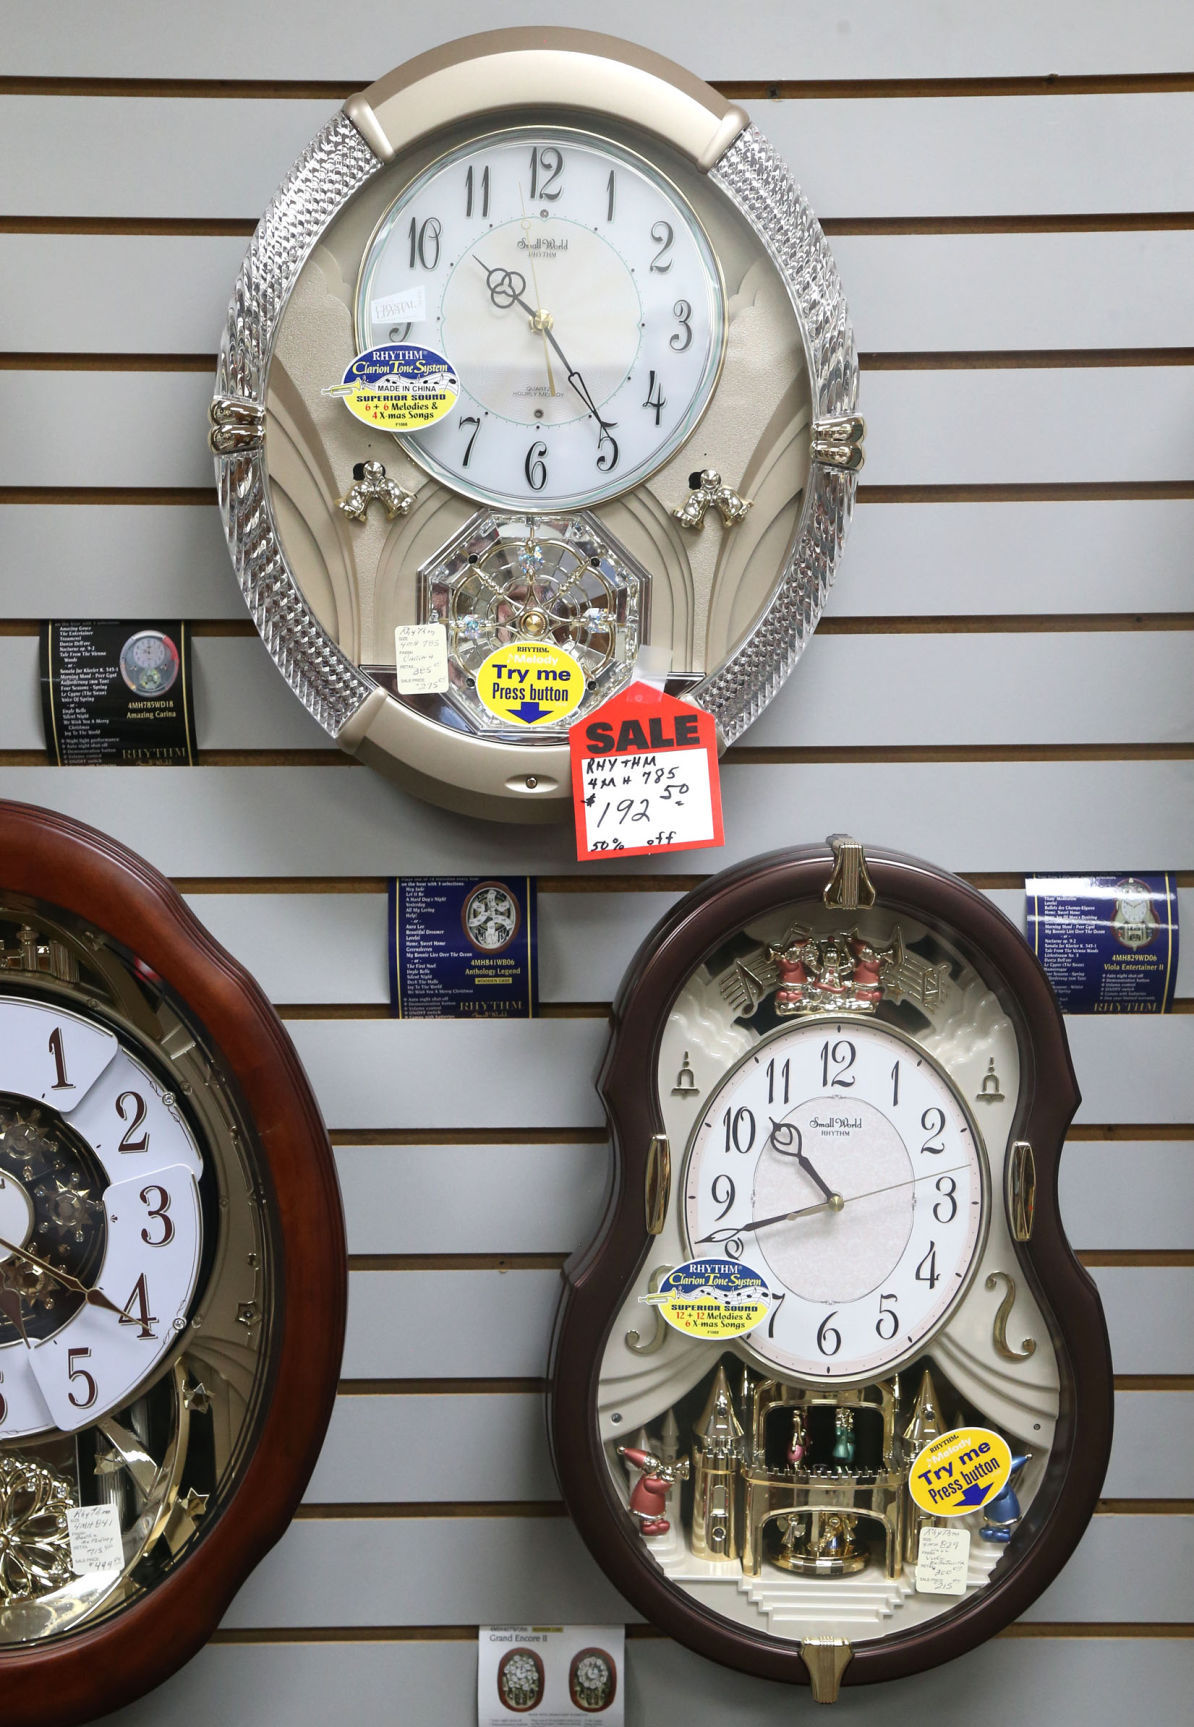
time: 10:41
